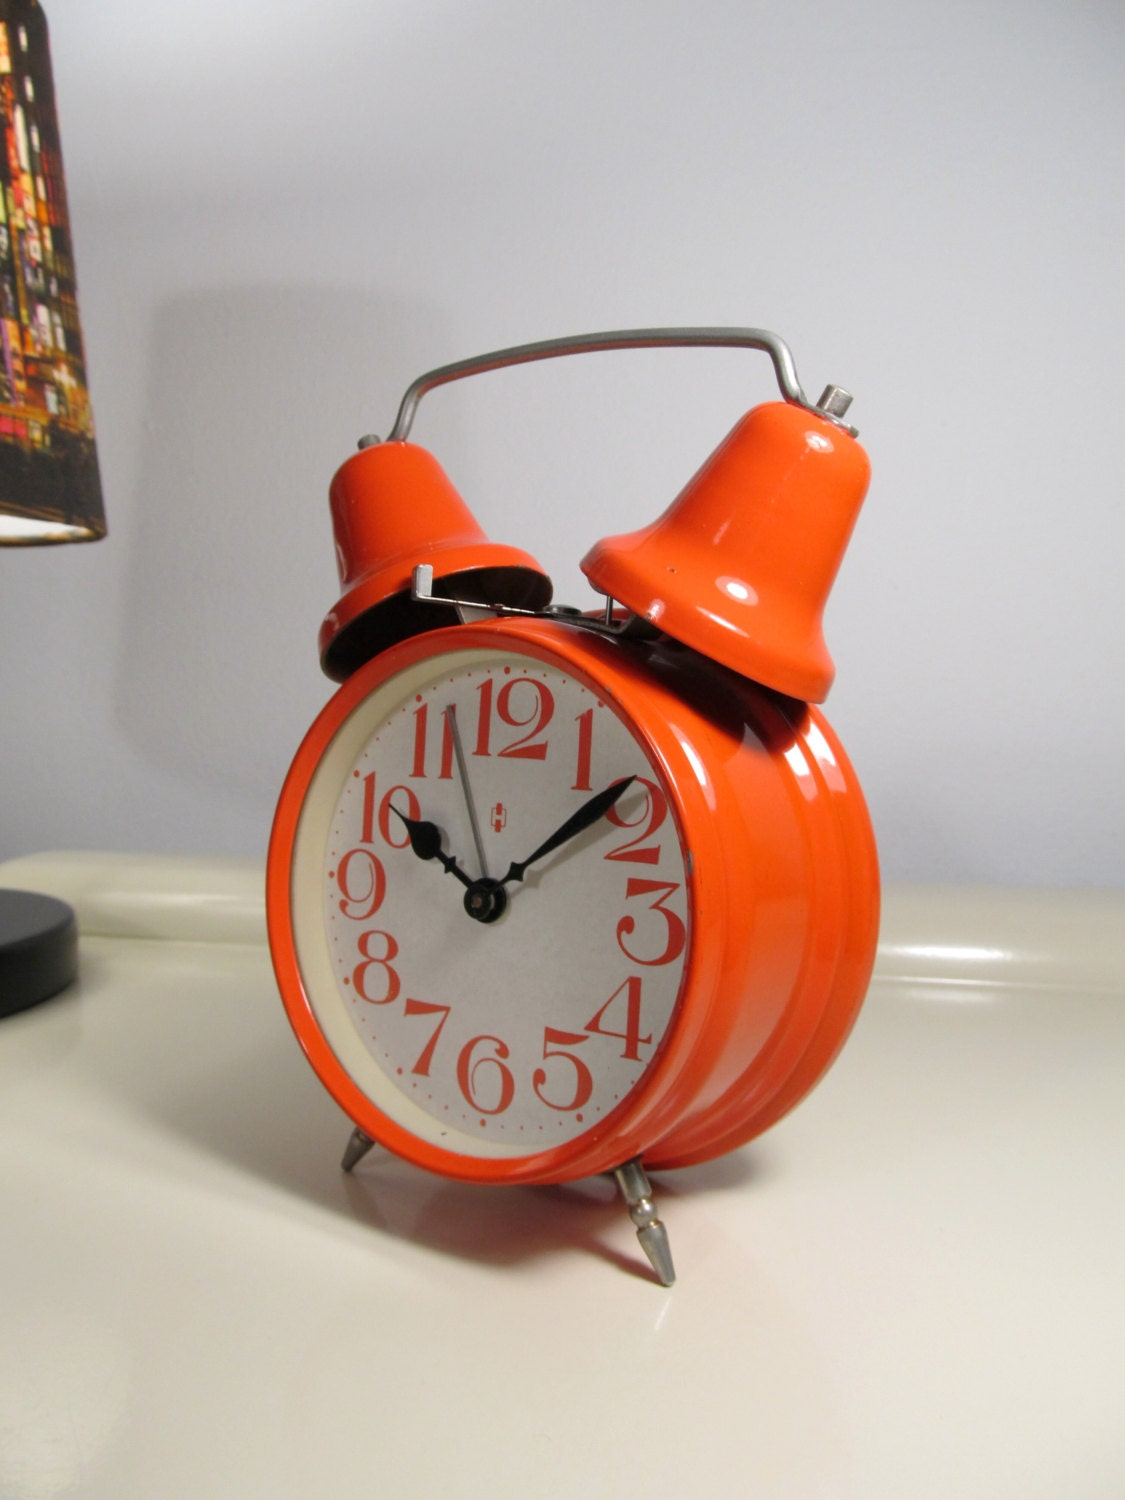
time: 10:07
